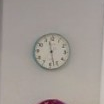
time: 11:27
